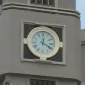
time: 12:19
